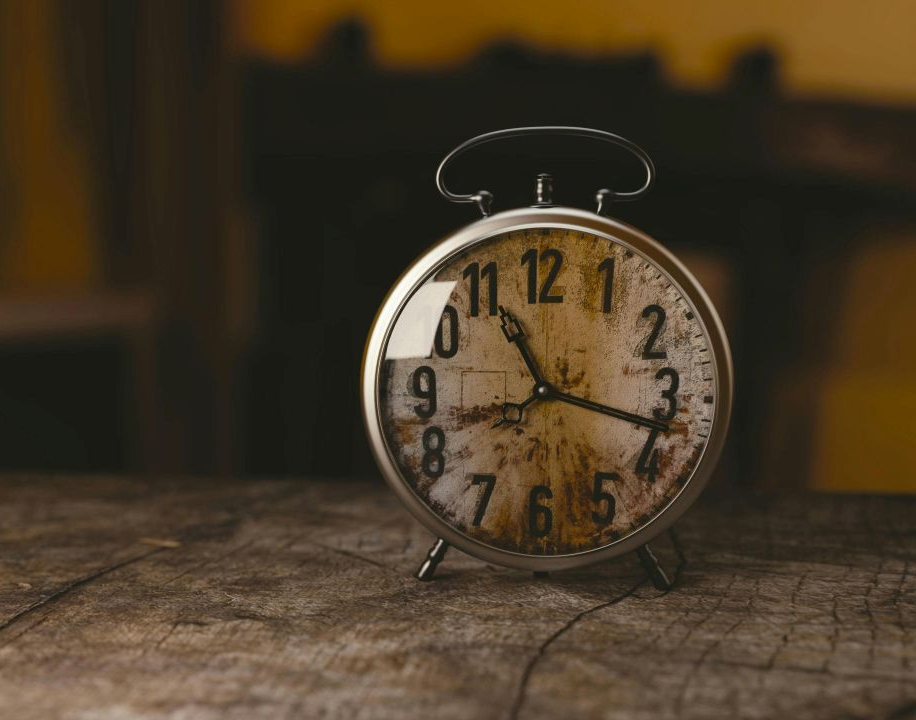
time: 11:17
